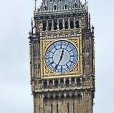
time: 12:34
